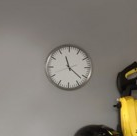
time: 11:21
